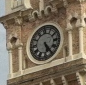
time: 5:24
